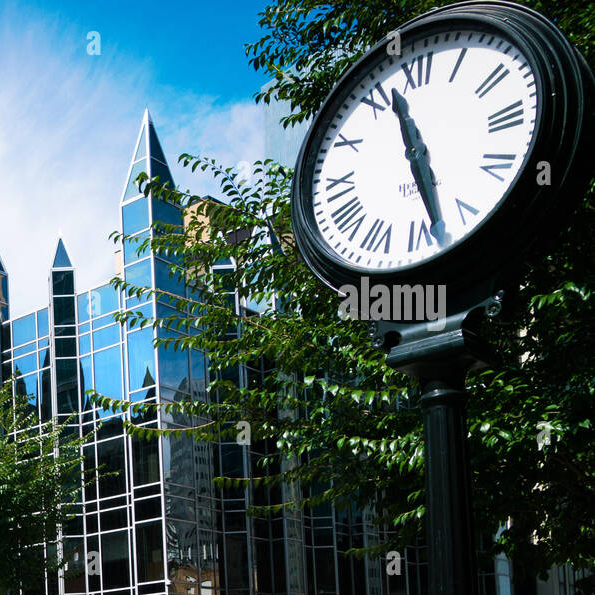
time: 11:28
